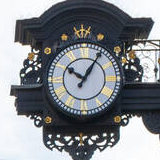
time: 10:05
